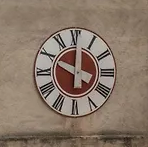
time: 10:00
